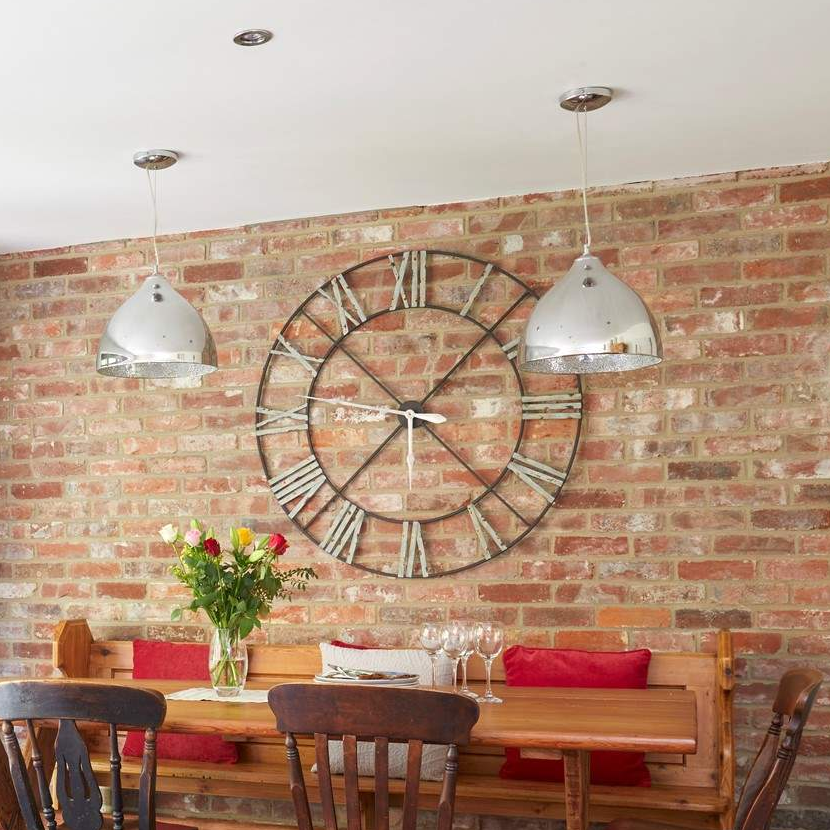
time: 1:37
